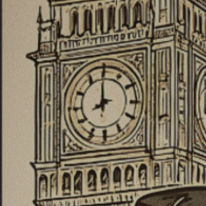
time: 7:59
